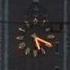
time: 5:18
